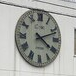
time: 4:11
